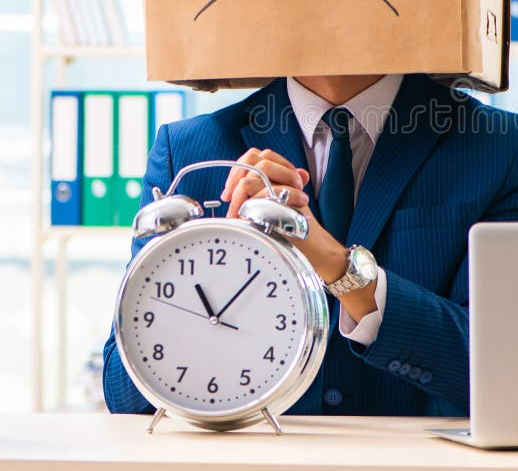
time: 11:06
